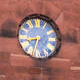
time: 8:32
